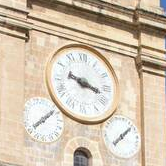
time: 3:17
